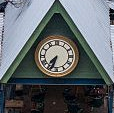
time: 7:33
